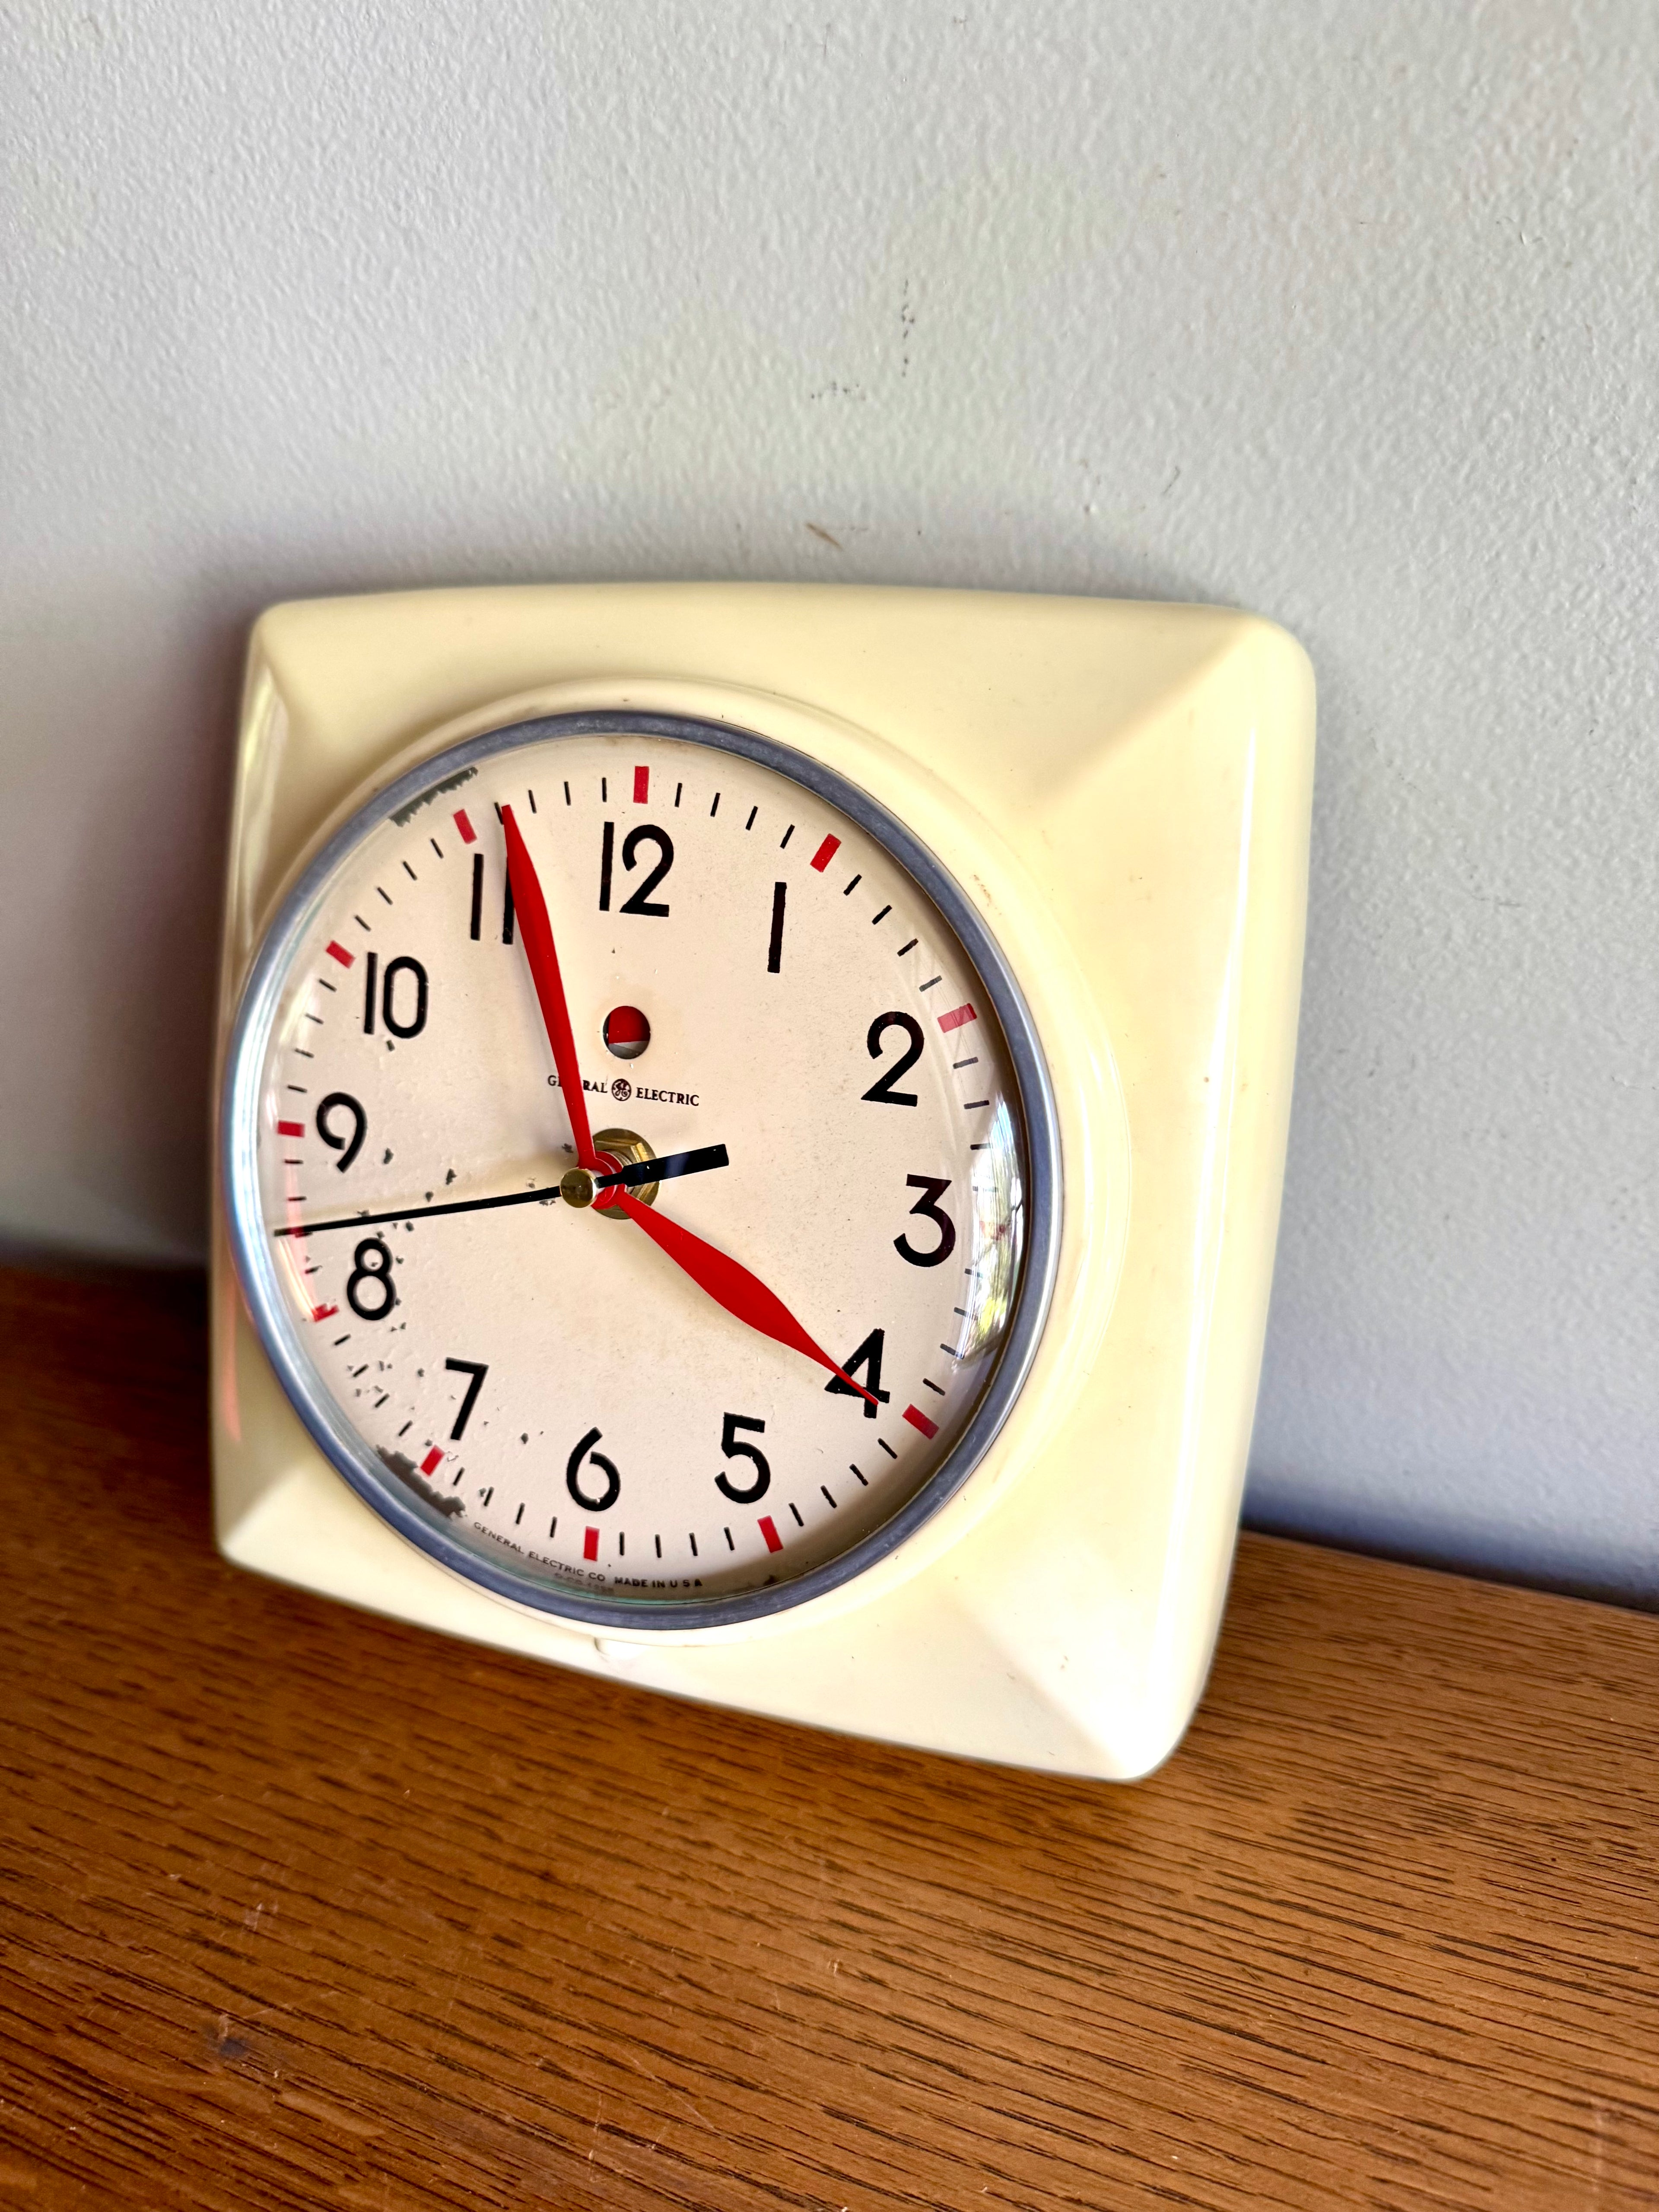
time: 3:56
